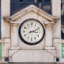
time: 3:11
